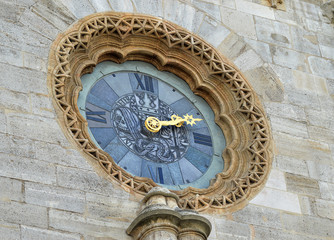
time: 2:01
